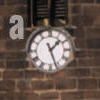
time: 1:26
